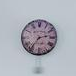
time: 2:36
